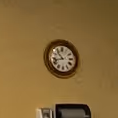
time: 10:42
